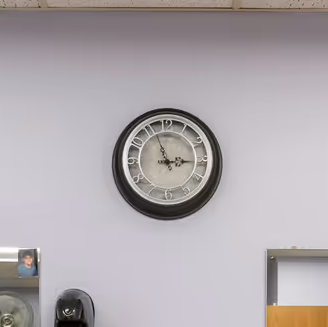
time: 2:56
